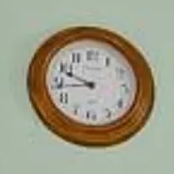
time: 9:43
